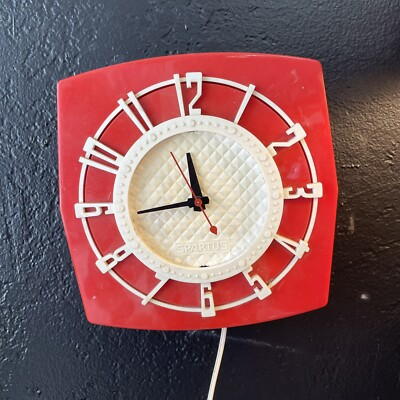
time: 11:44
